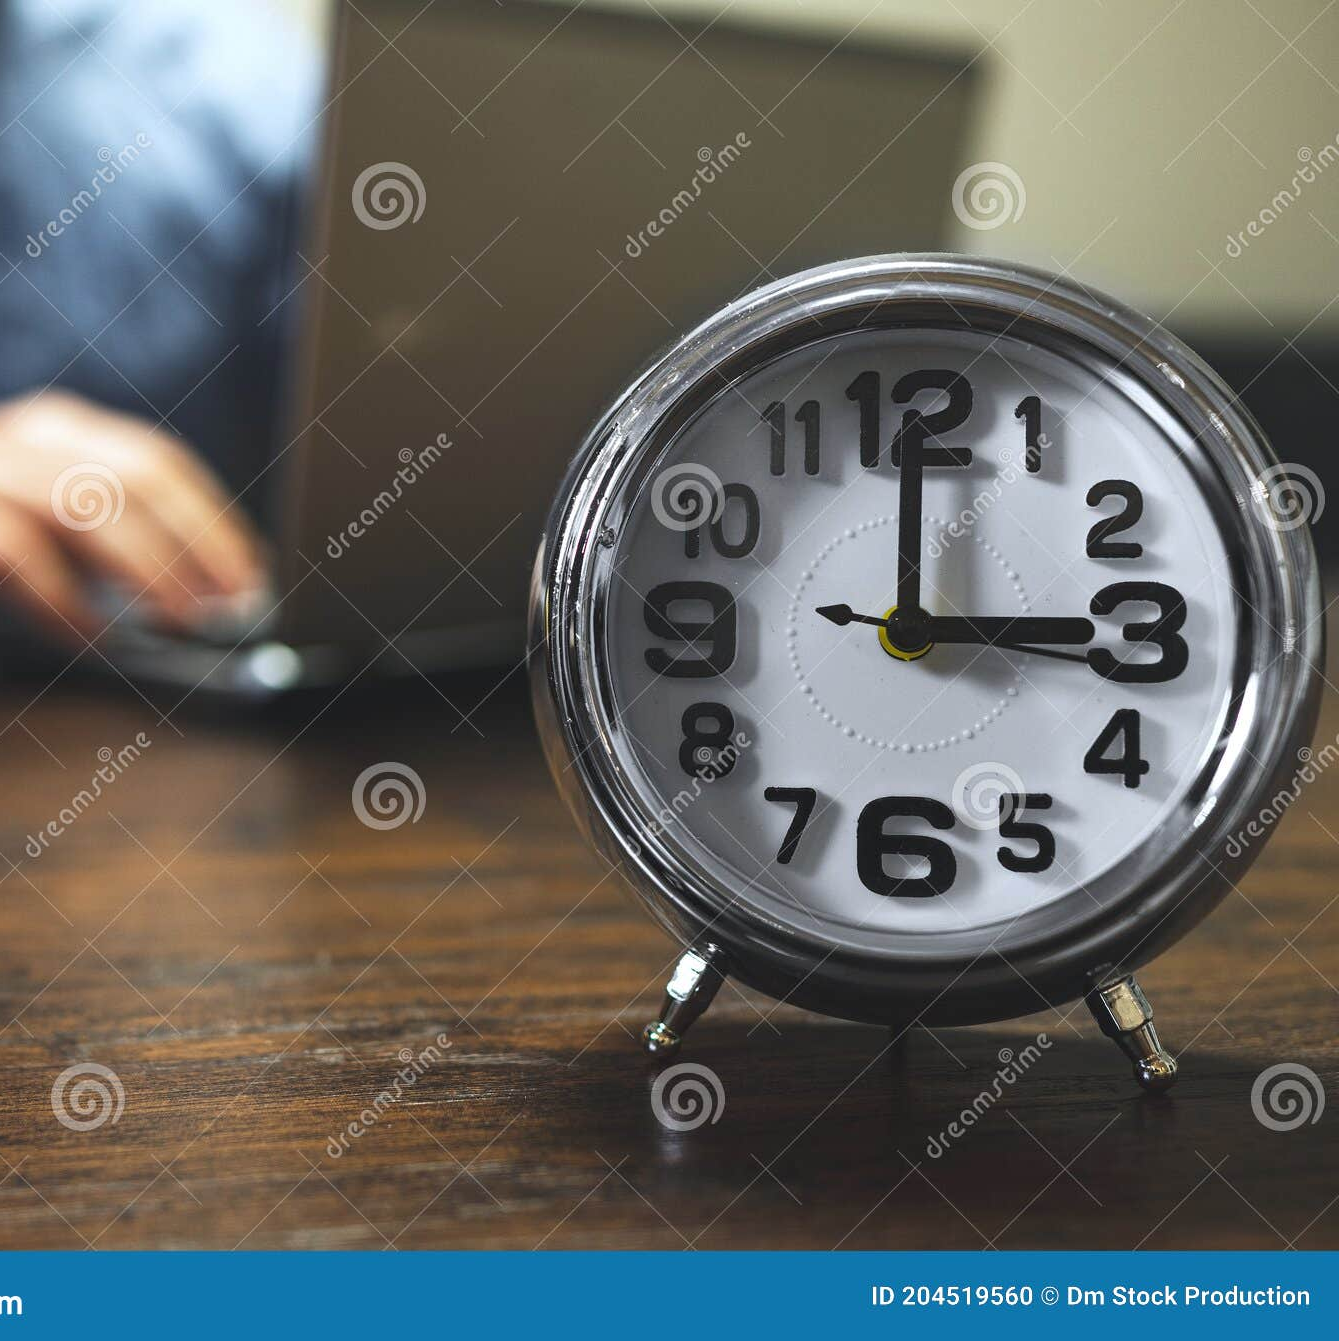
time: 3:00
